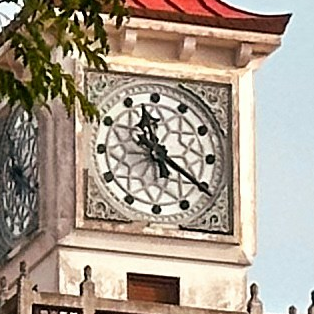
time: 11:20
